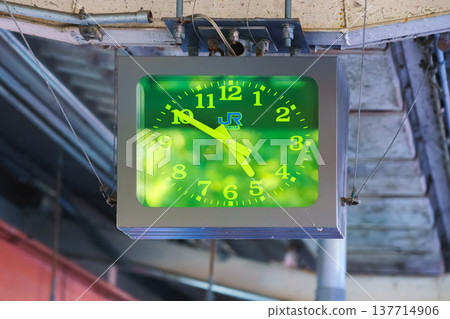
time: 4:50
